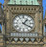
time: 1:20
